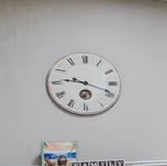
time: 9:18
